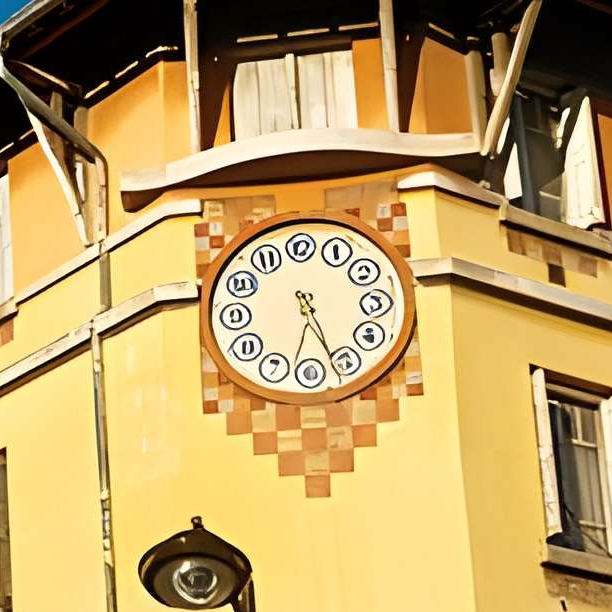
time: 6:26
